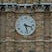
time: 3:27
